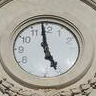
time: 4:58
